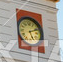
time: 5:11
